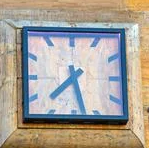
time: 7:28
